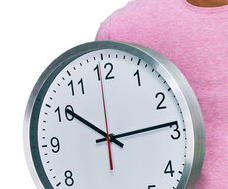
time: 10:13
